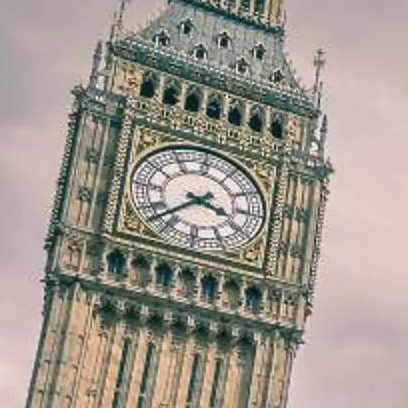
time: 3:37
